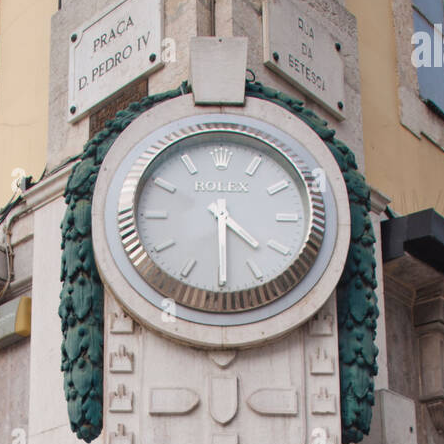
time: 4:29
